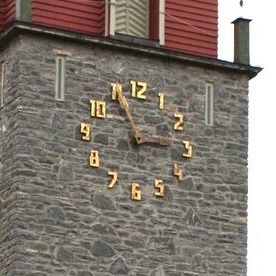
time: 2:56
